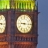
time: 9:15
